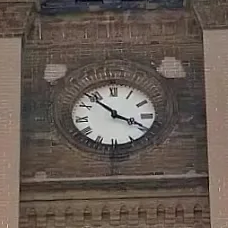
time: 3:53
